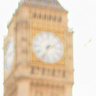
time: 2:33
